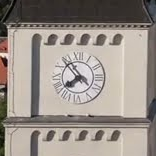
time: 7:53
